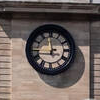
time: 11:44
